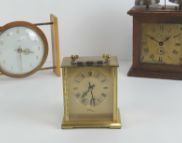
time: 7:28
